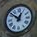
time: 12:51
